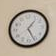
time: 1:26
